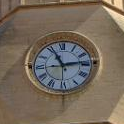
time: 11:13
